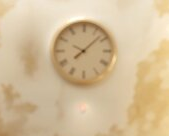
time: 10:07
